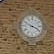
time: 3:48
